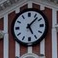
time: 5:07
